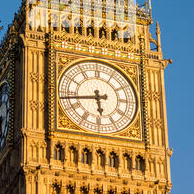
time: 5:43
